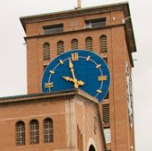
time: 9:57
